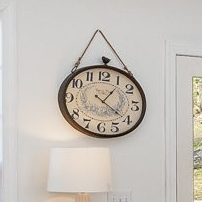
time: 1:20
